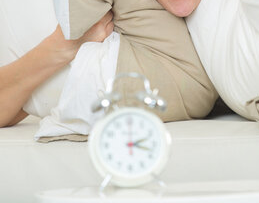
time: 2:18
